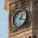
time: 1:18
